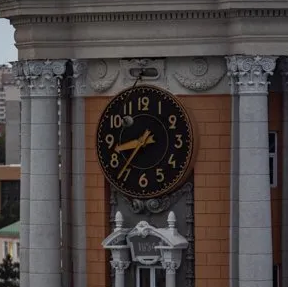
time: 8:36
